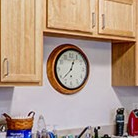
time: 12:37
